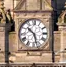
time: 10:28
